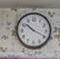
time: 10:19
